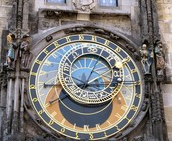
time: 3:04
